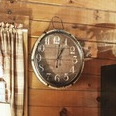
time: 1:02
